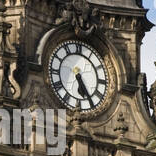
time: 5:24
